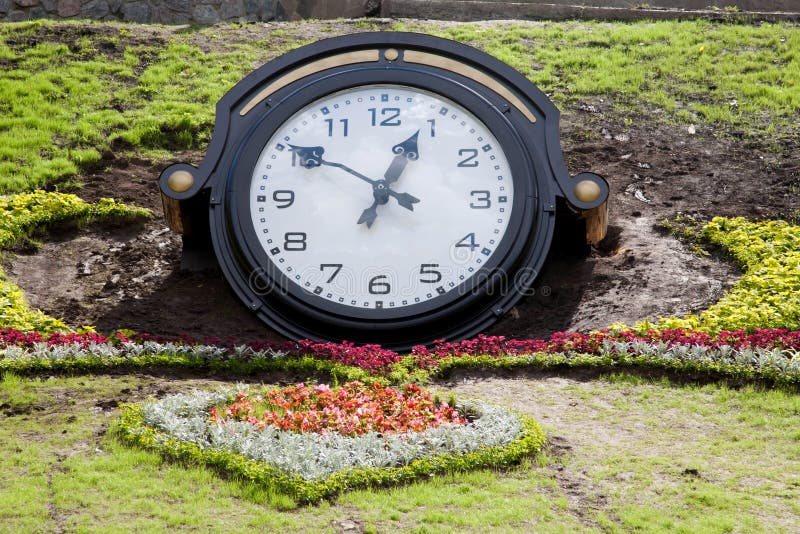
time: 12:50
